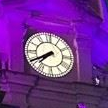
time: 7:40
